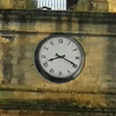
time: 8:19
